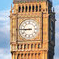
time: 8:45
